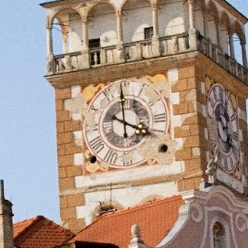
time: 3:59
